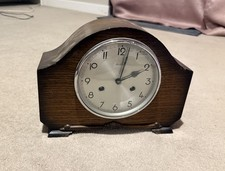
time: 2:01
